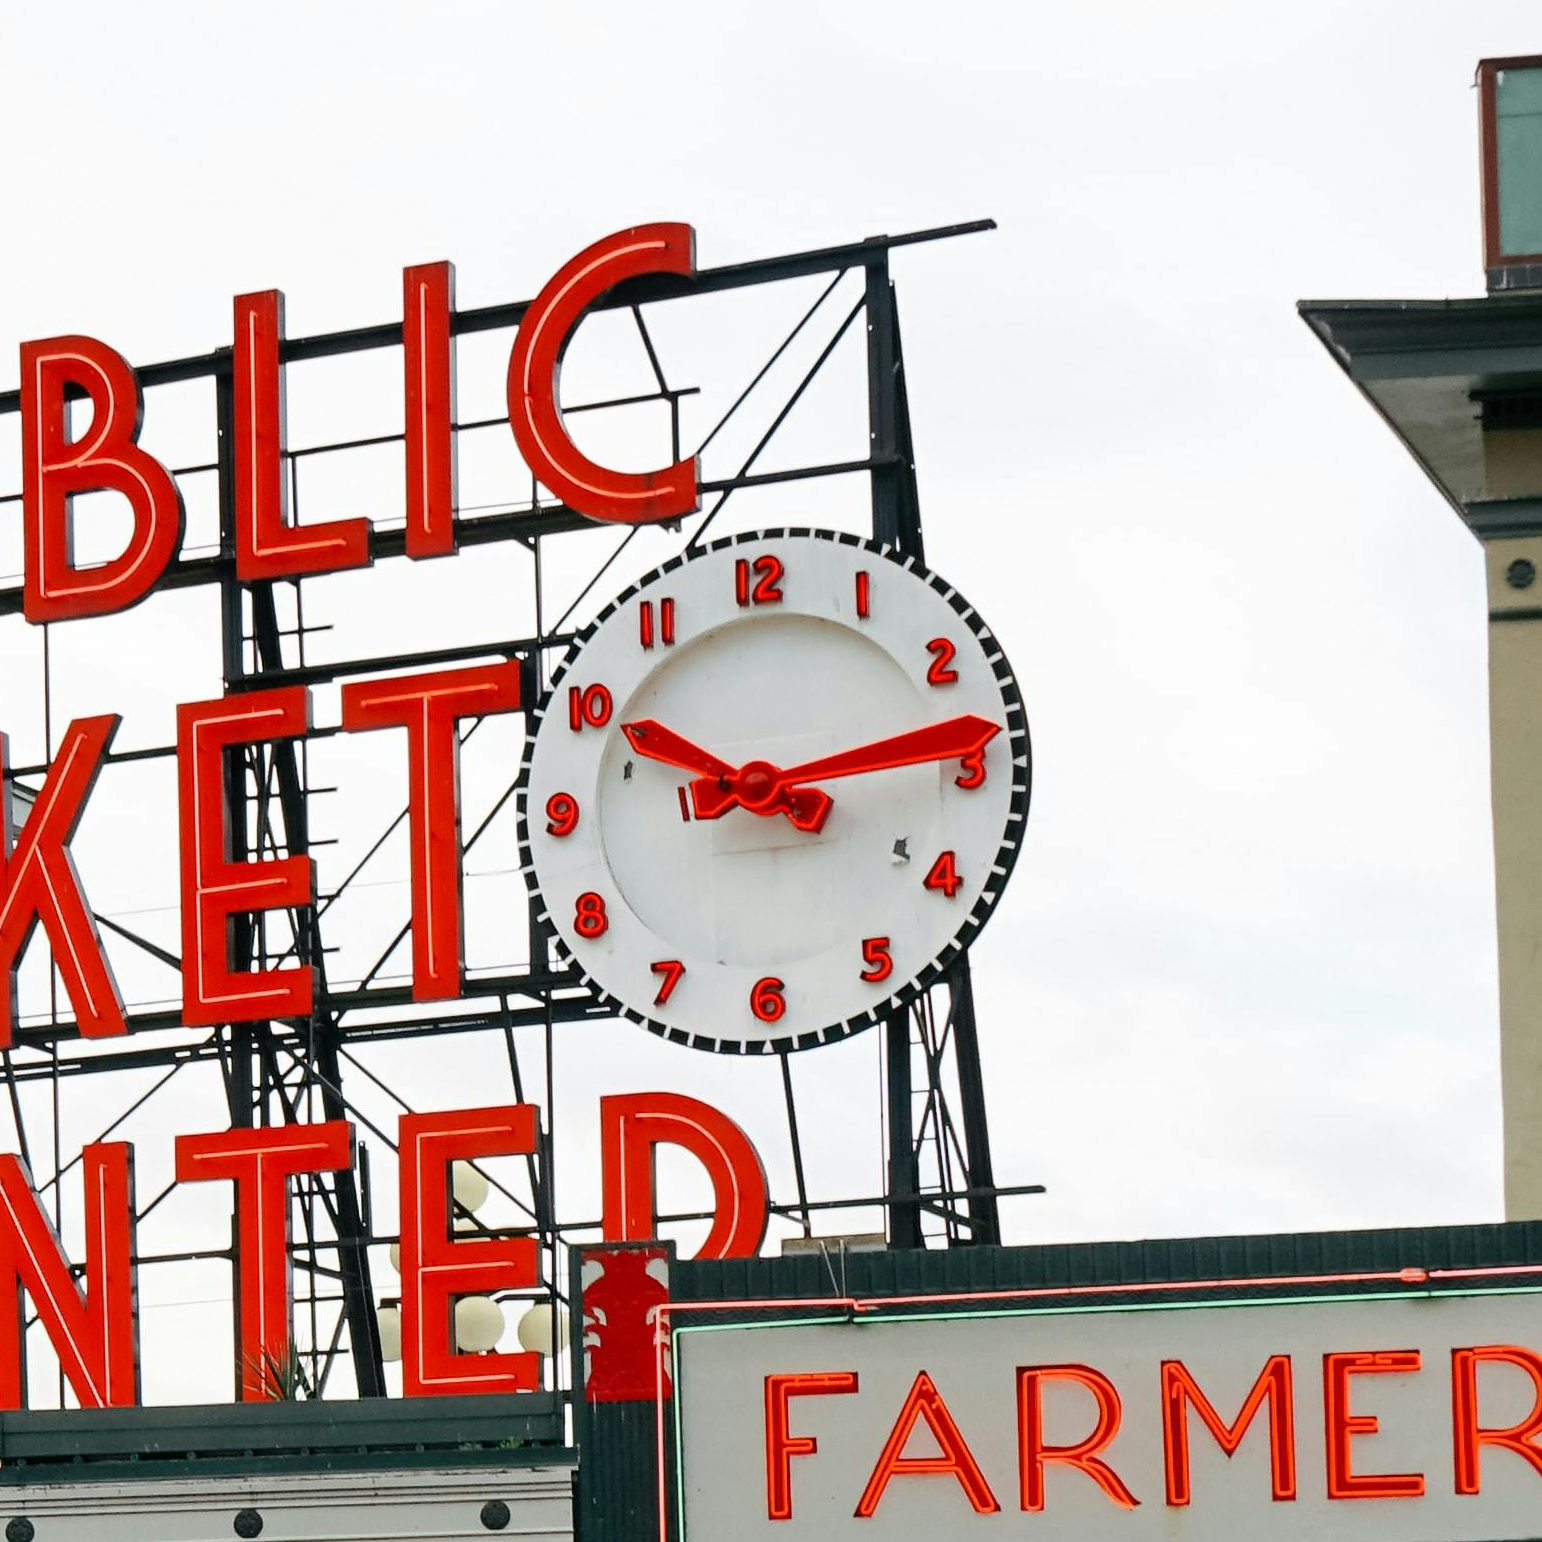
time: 10:13
